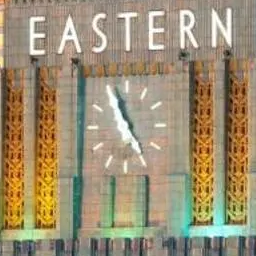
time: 11:24
